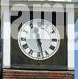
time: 5:27
